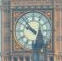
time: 9:53
